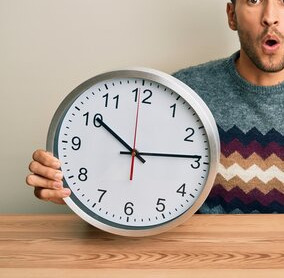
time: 10:13
